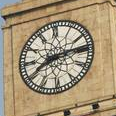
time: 8:13
